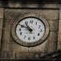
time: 10:49
